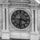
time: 3:32
